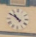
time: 10:51
